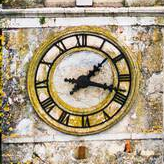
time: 1:17
